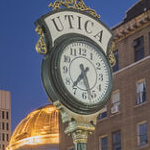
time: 7:27
